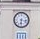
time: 6:17
